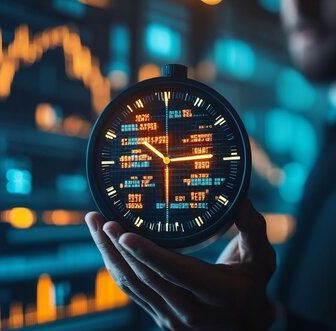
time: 10:14
